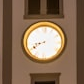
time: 8:40
